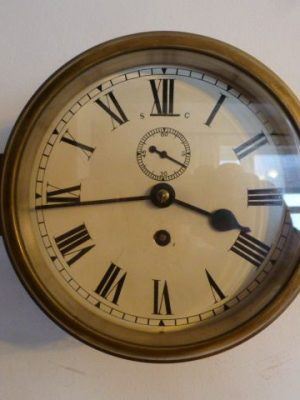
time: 3:43
